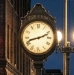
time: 2:11
